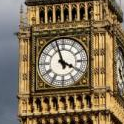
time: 3:57
